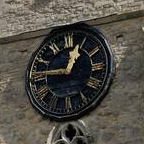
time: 12:46
